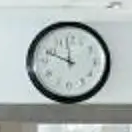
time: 11:48
